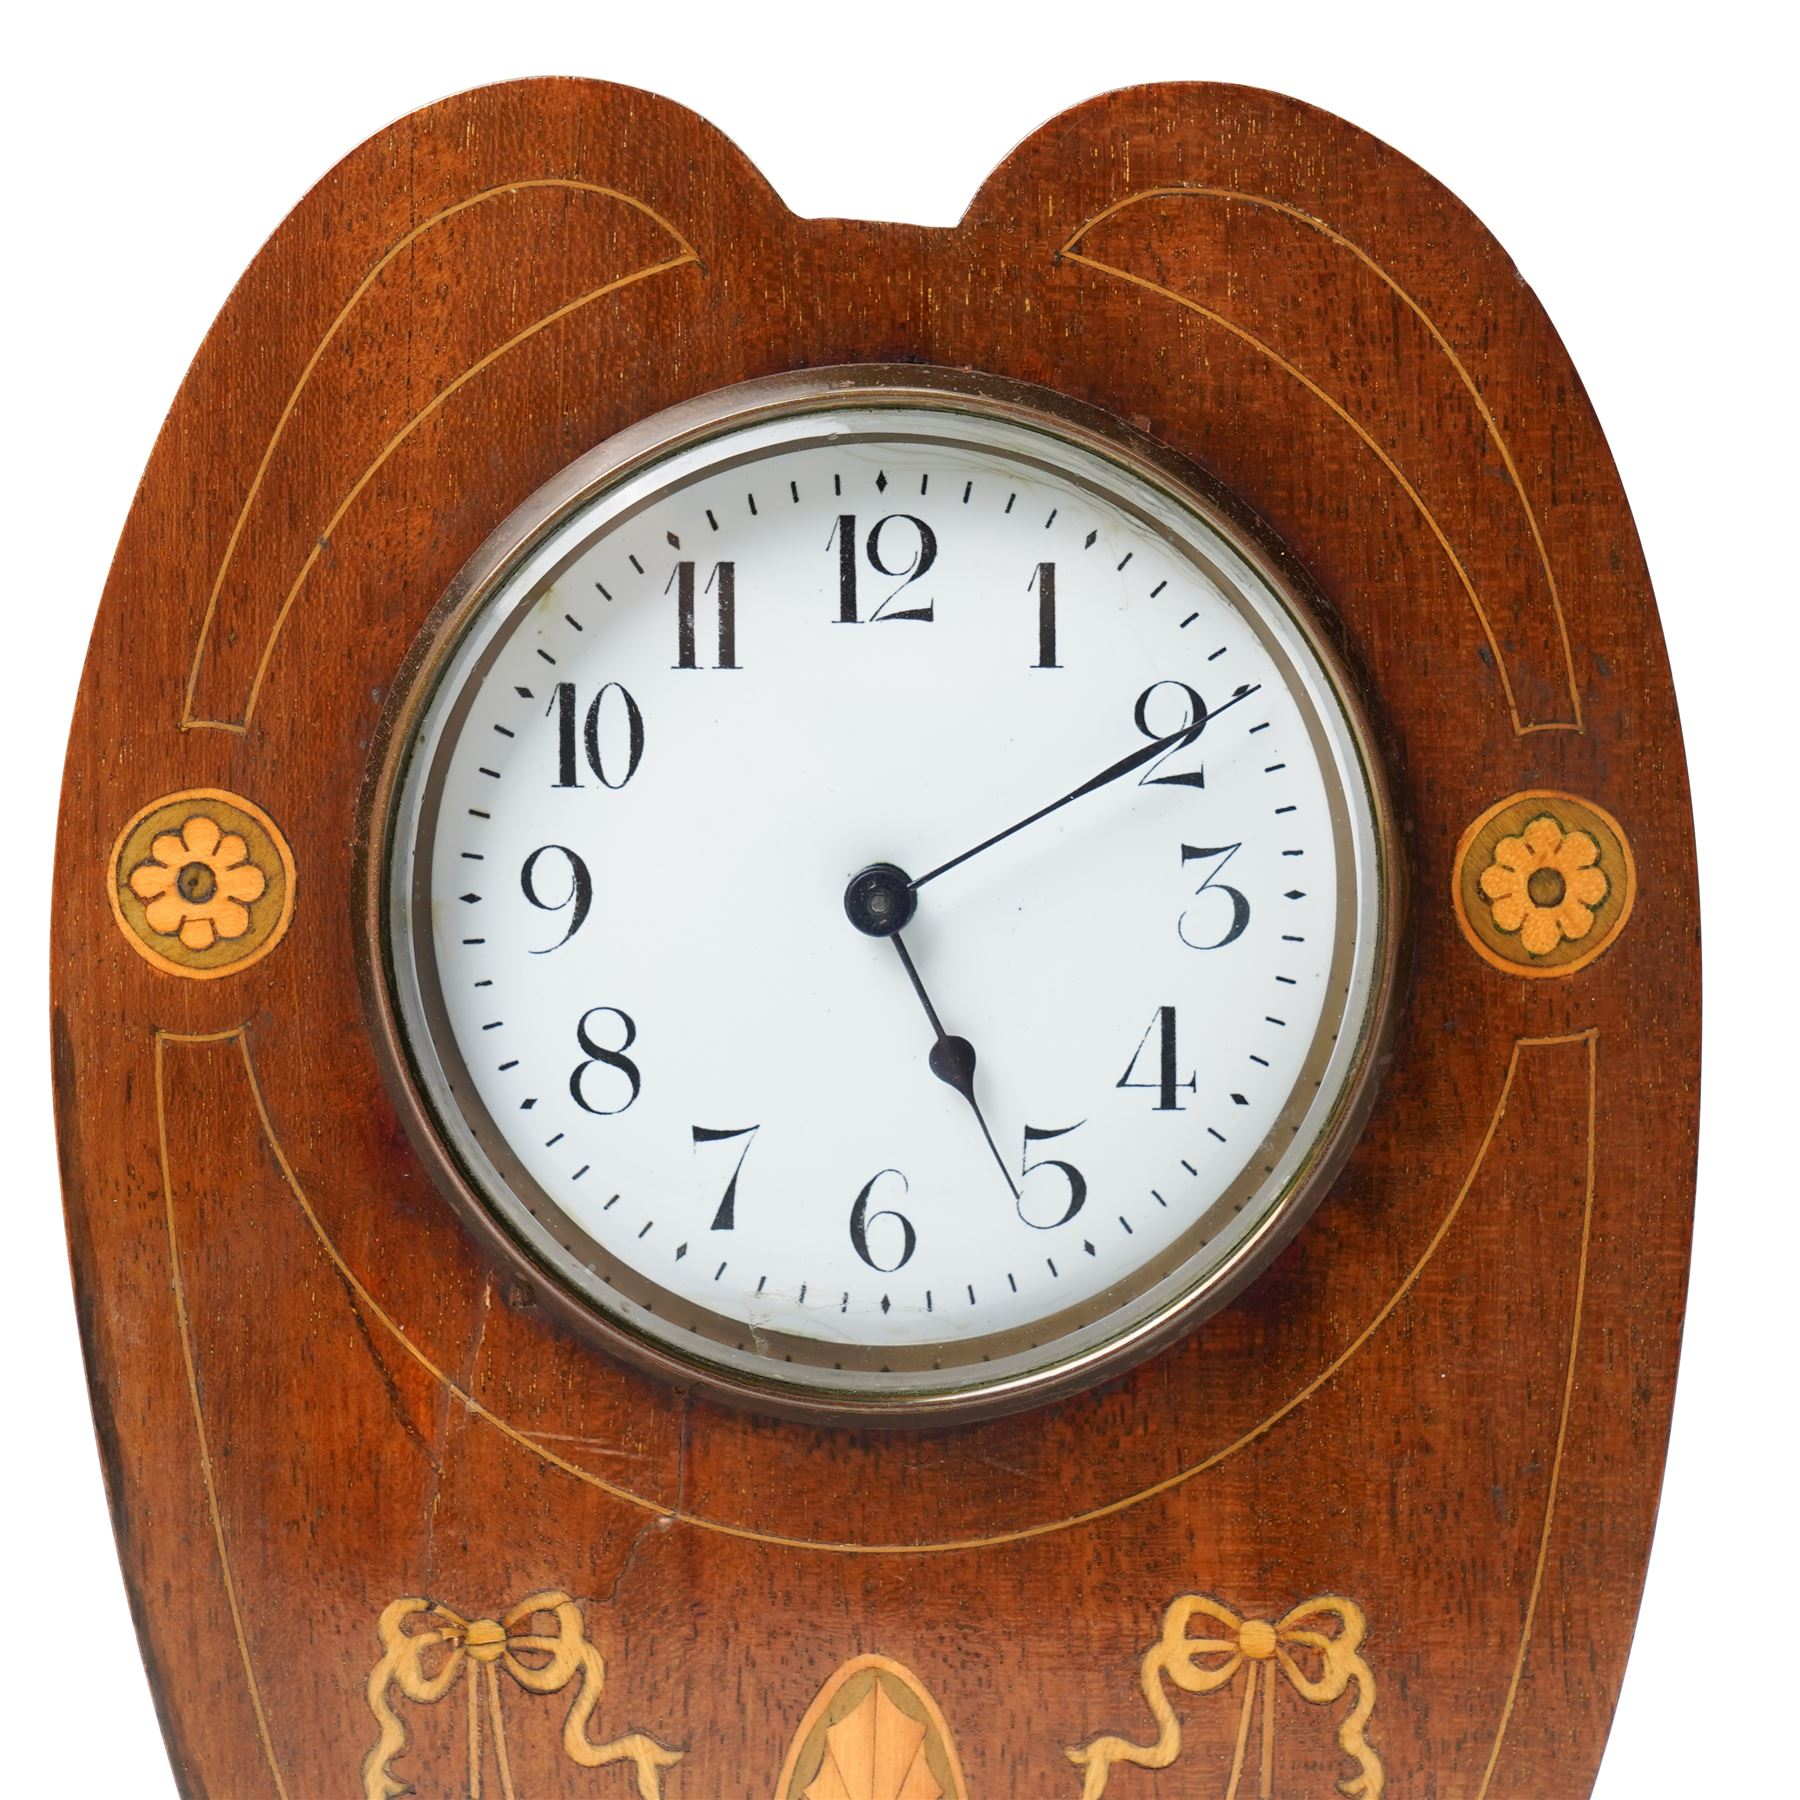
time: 5:10
